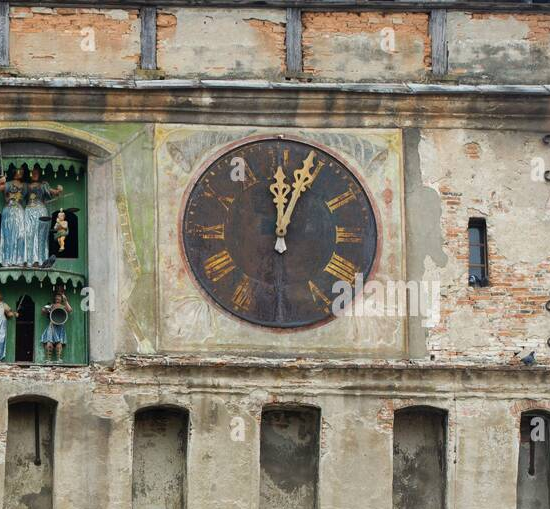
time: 12:03
